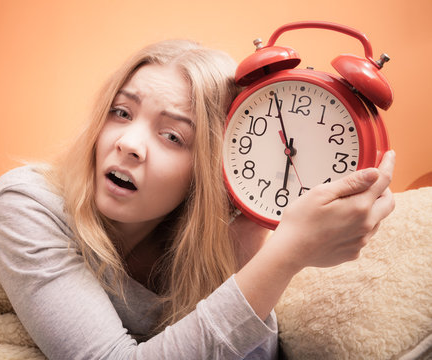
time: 5:55
